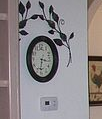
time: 6:16
